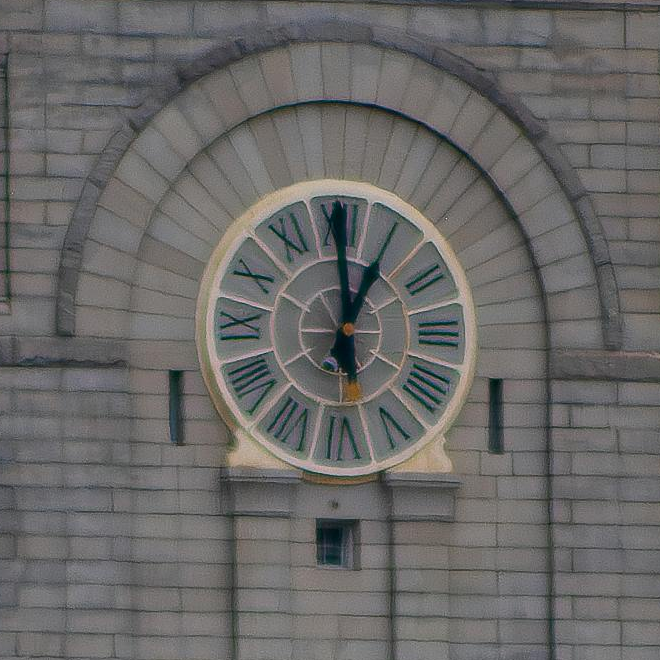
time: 1:00
